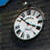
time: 3:52
